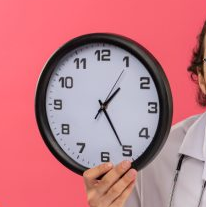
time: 1:24
